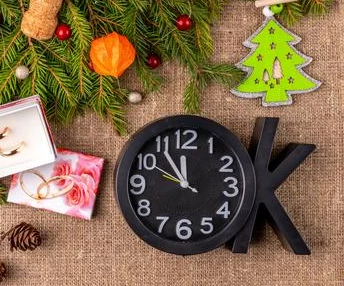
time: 11:54
